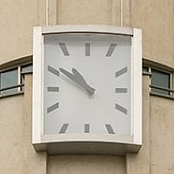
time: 10:50
